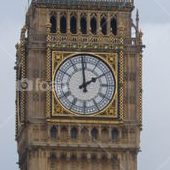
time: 1:59
